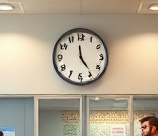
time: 4:58
